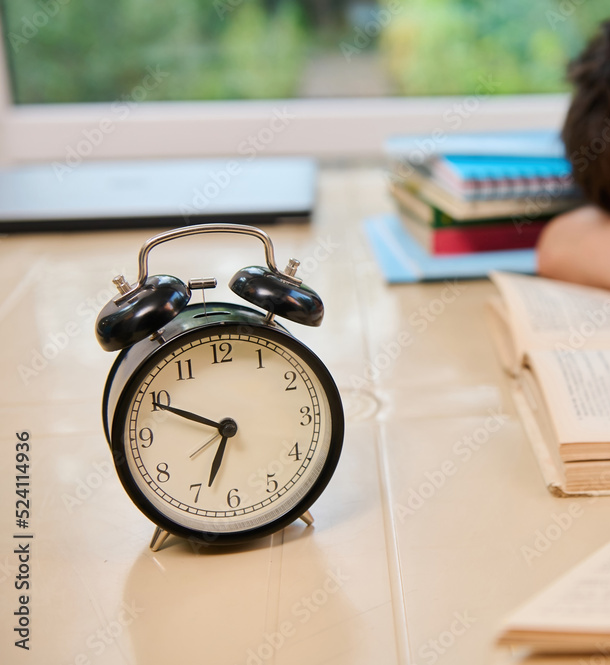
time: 6:49
